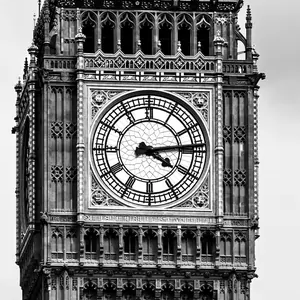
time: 4:13
